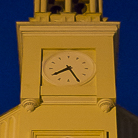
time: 7:25
